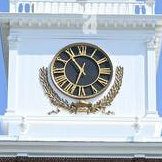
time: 6:54
